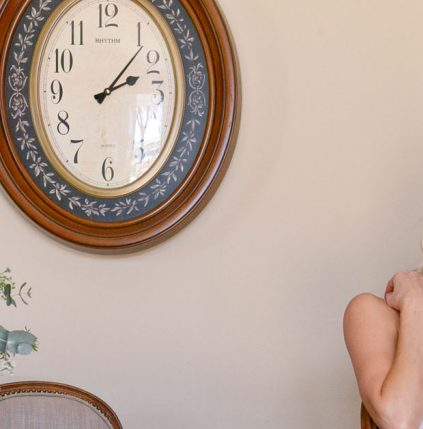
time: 2:07
